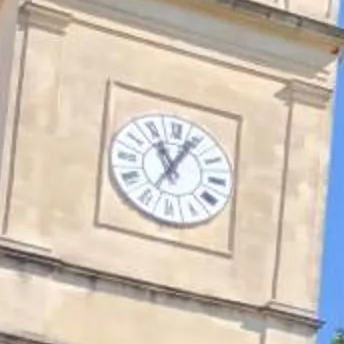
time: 11:04
